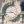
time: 3:43
